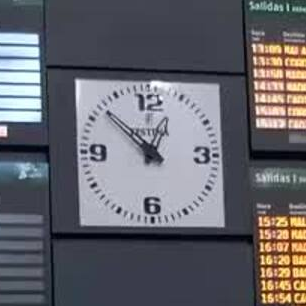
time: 12:52
